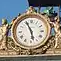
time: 5:56
